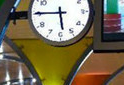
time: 5:45
